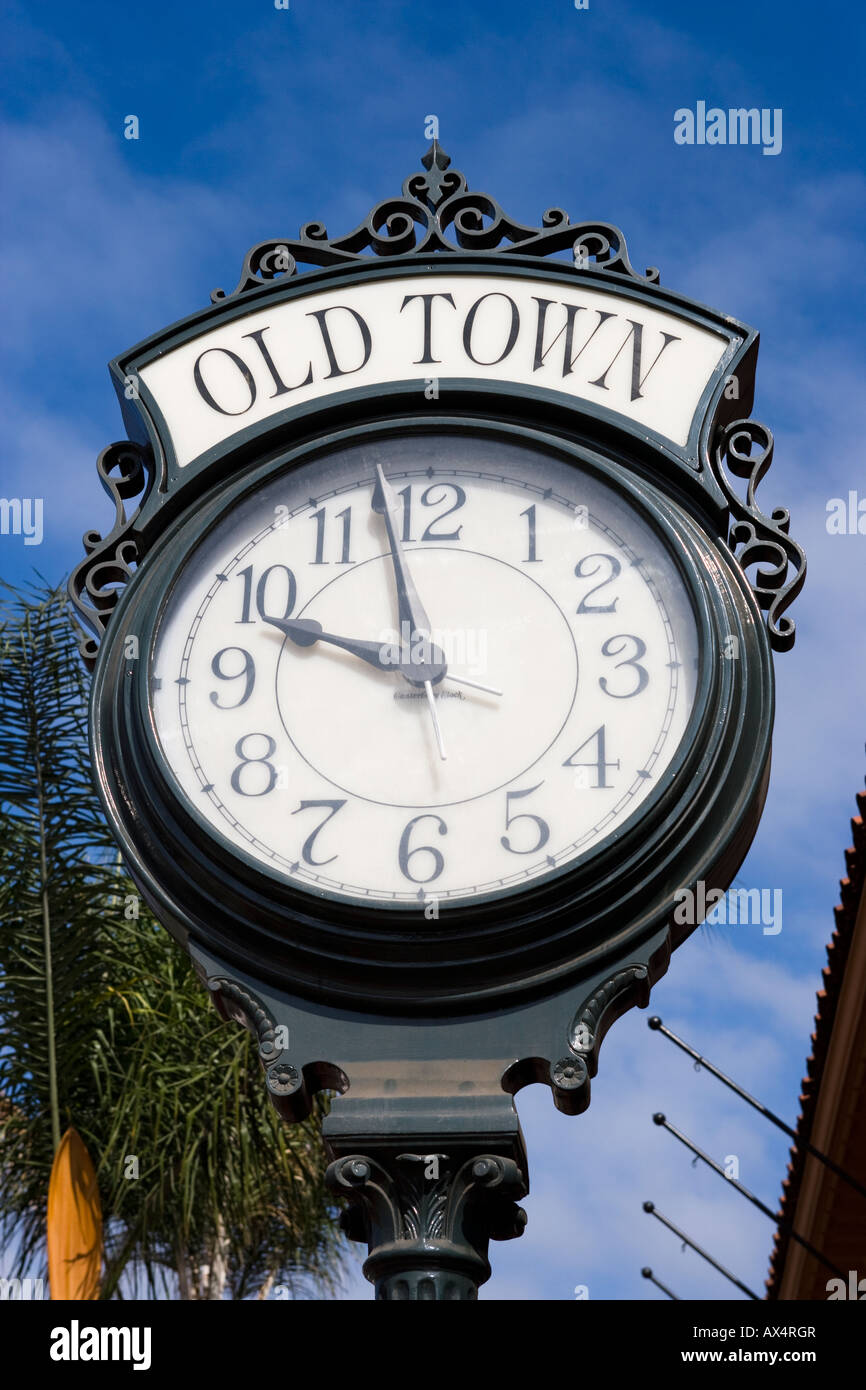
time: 9:57
